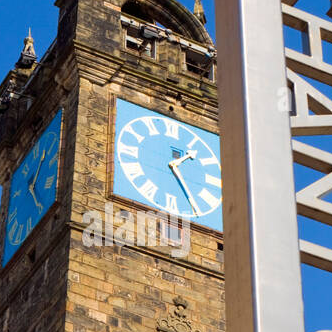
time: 1:24
